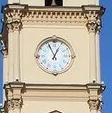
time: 12:55
